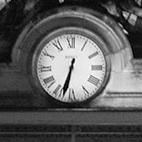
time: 6:32
